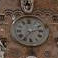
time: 7:12
